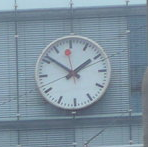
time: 1:51
